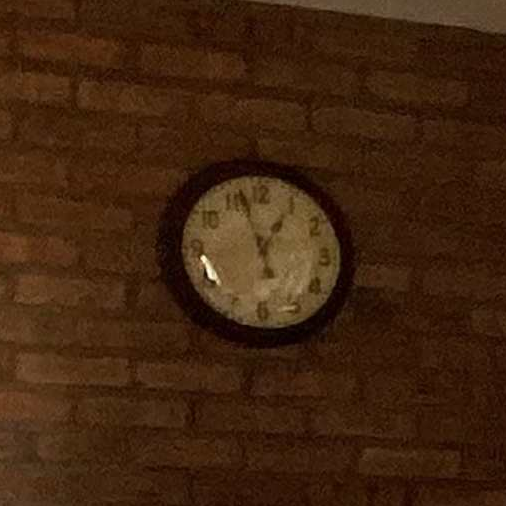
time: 12:57
